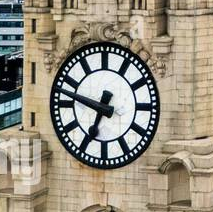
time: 6:47
